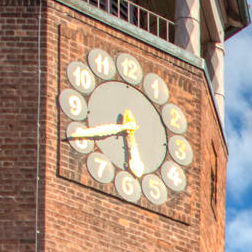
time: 5:40
